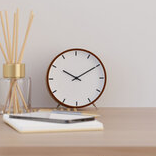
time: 10:09
